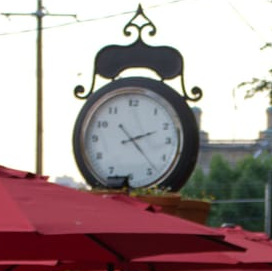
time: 2:23
